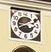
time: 3:40
